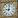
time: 9:01
